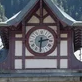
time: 2:30
